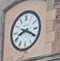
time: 8:19
